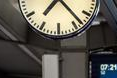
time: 7:23
